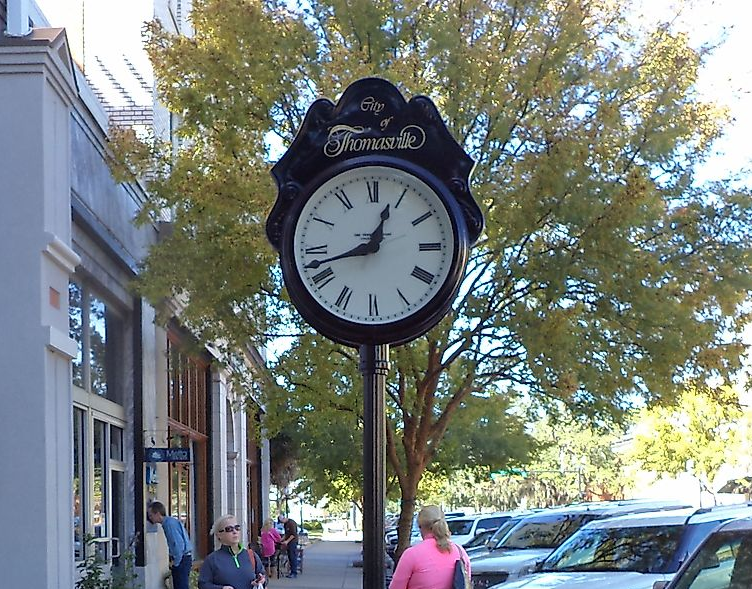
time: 12:42
